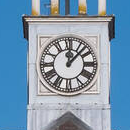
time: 12:07
